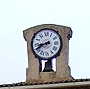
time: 8:40
